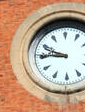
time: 9:45
